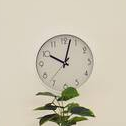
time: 10:02
